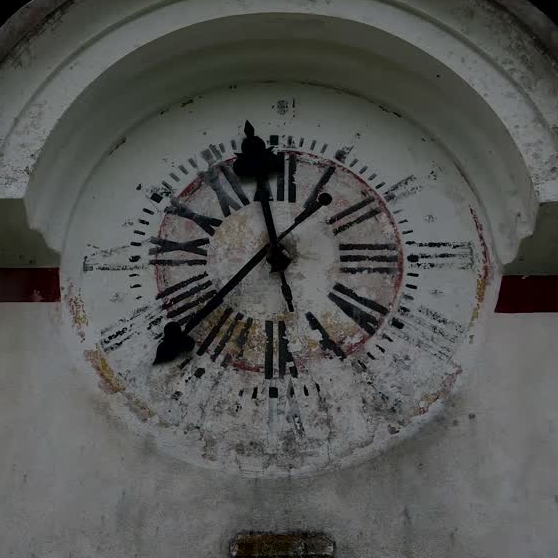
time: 11:37
